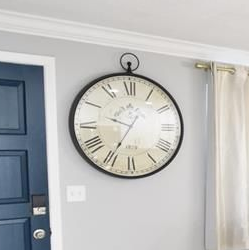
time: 9:34
